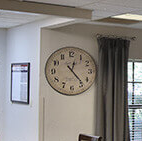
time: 12:23
